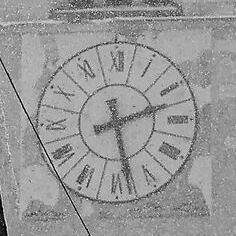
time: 2:28
